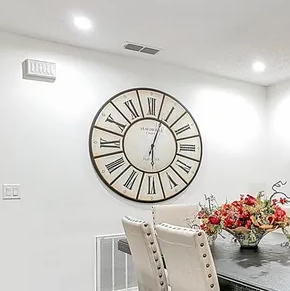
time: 6:03
